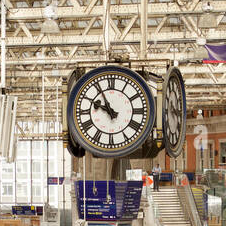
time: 9:55
